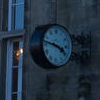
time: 3:47
